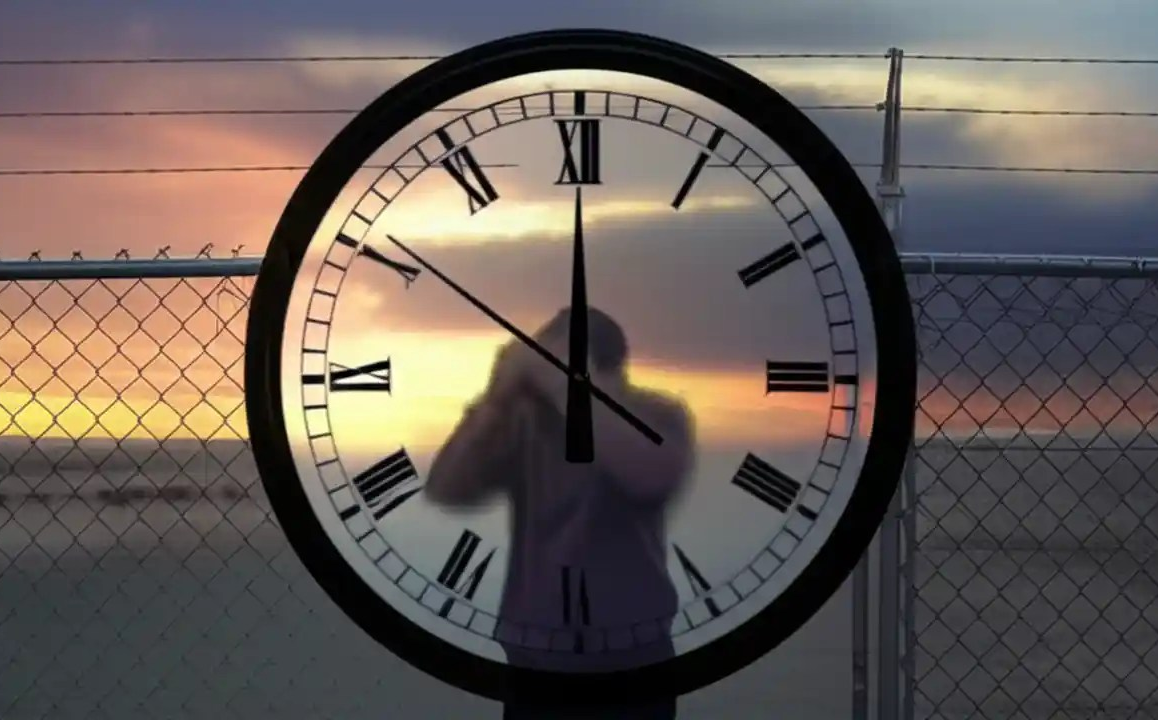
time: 5:59
